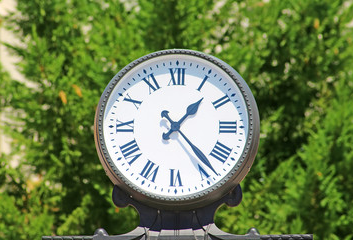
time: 1:23
